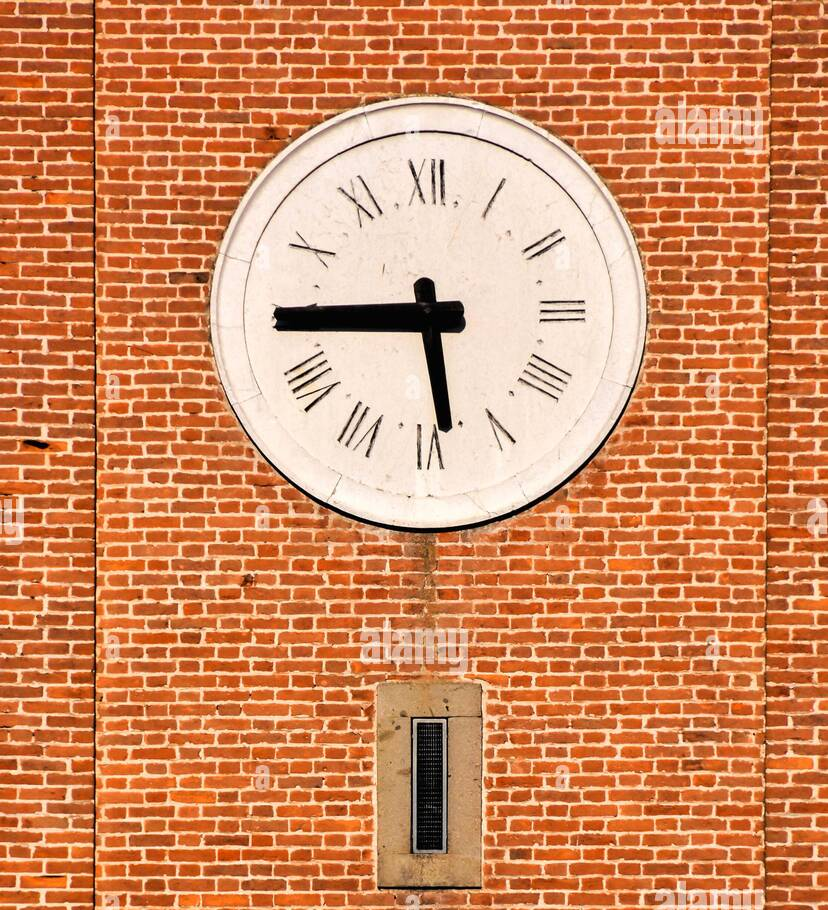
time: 5:44
